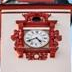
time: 4:40
